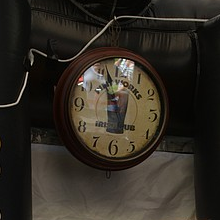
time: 5:55
